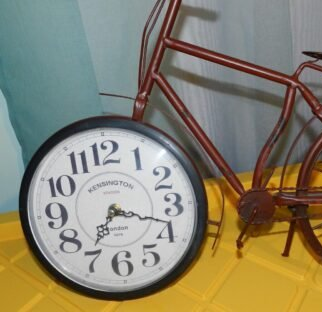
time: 7:17
